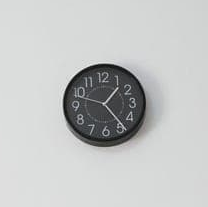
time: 1:23
